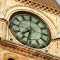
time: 7:32
